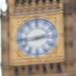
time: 2:43
